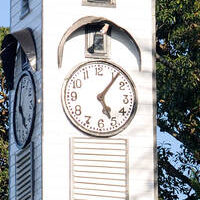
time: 5:06
